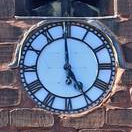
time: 4:59
